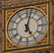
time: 5:02
